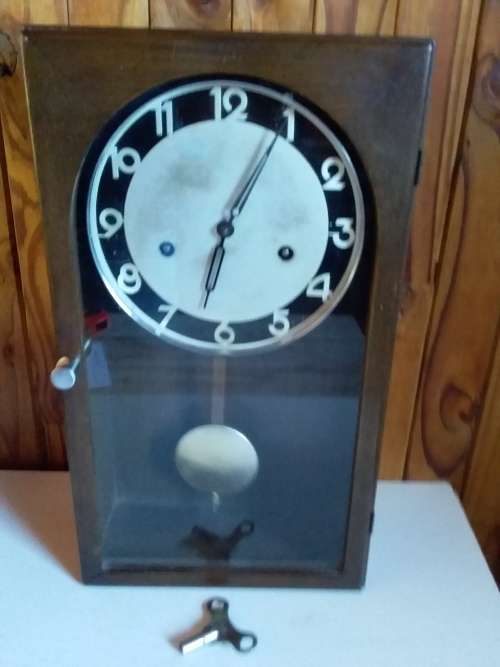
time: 6:04
